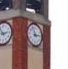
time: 11:13
